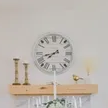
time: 7:42
